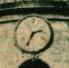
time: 2:34
